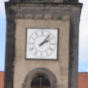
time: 2:06
